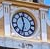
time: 11:32
